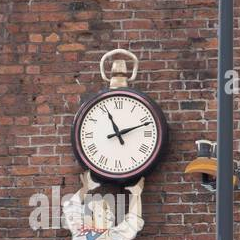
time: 11:11
